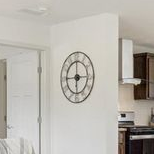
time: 5:59
